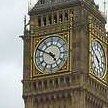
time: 4:49
